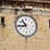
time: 10:43
